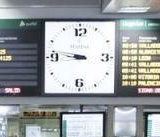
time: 8:46
